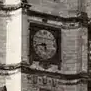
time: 5:42
